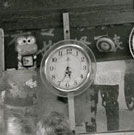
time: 5:33
